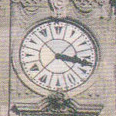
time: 3:17
